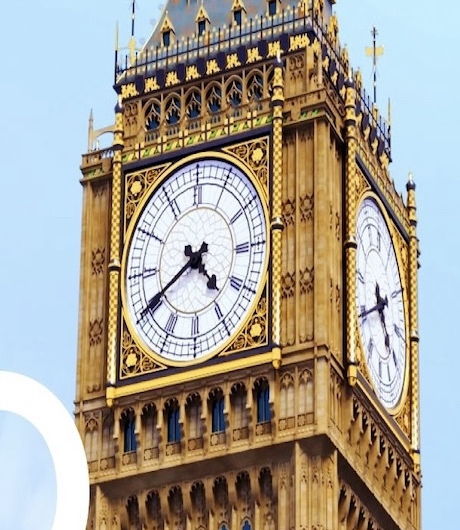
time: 4:40
